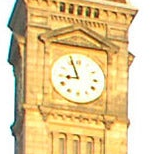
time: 8:56
